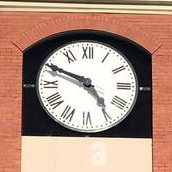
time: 4:49
